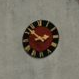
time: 2:52
